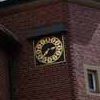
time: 2:36
